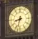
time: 8:32
